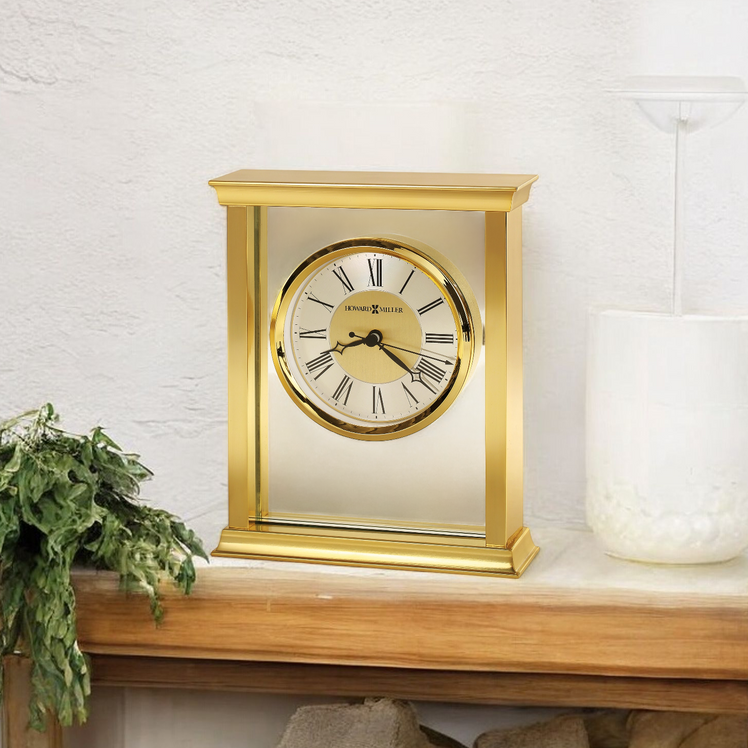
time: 8:21
